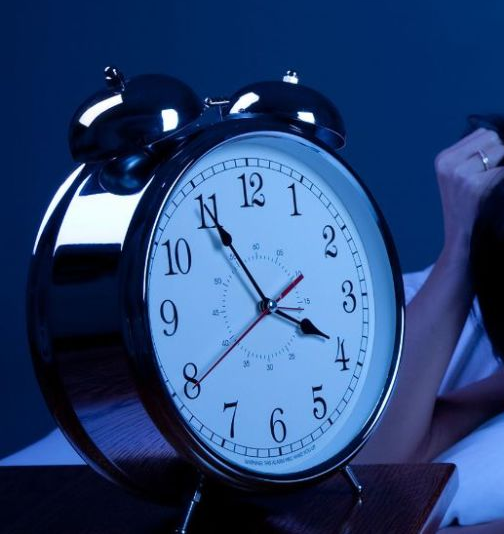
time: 3:54
